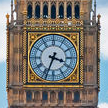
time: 3:33
